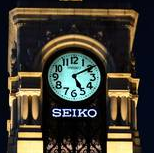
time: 5:09
